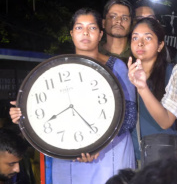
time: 8:25
